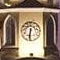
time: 6:31
